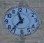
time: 11:37
